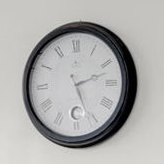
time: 2:26
